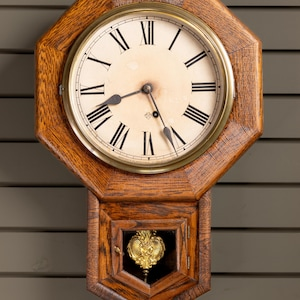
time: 8:26
